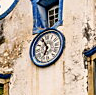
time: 6:55
